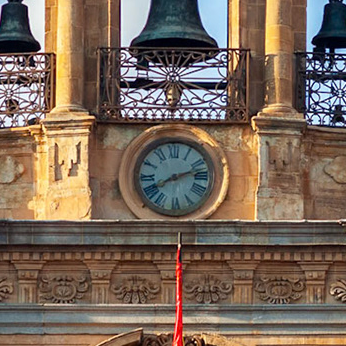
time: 8:12
